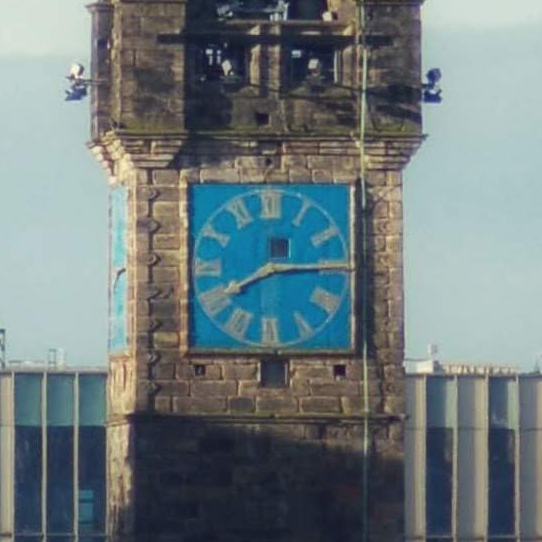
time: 8:14
